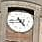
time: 4:43
